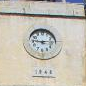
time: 9:13
